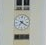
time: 7:20
